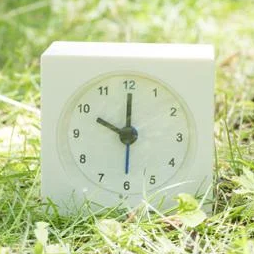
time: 10:00
